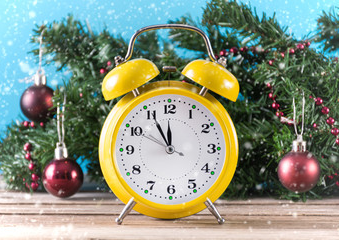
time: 11:55
